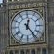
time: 12:23
